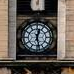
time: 12:27
